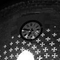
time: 6:47
